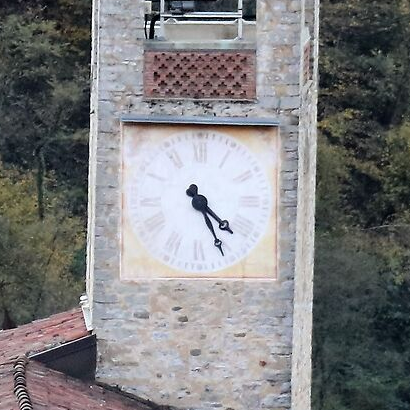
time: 4:25
